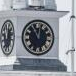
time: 11:02
